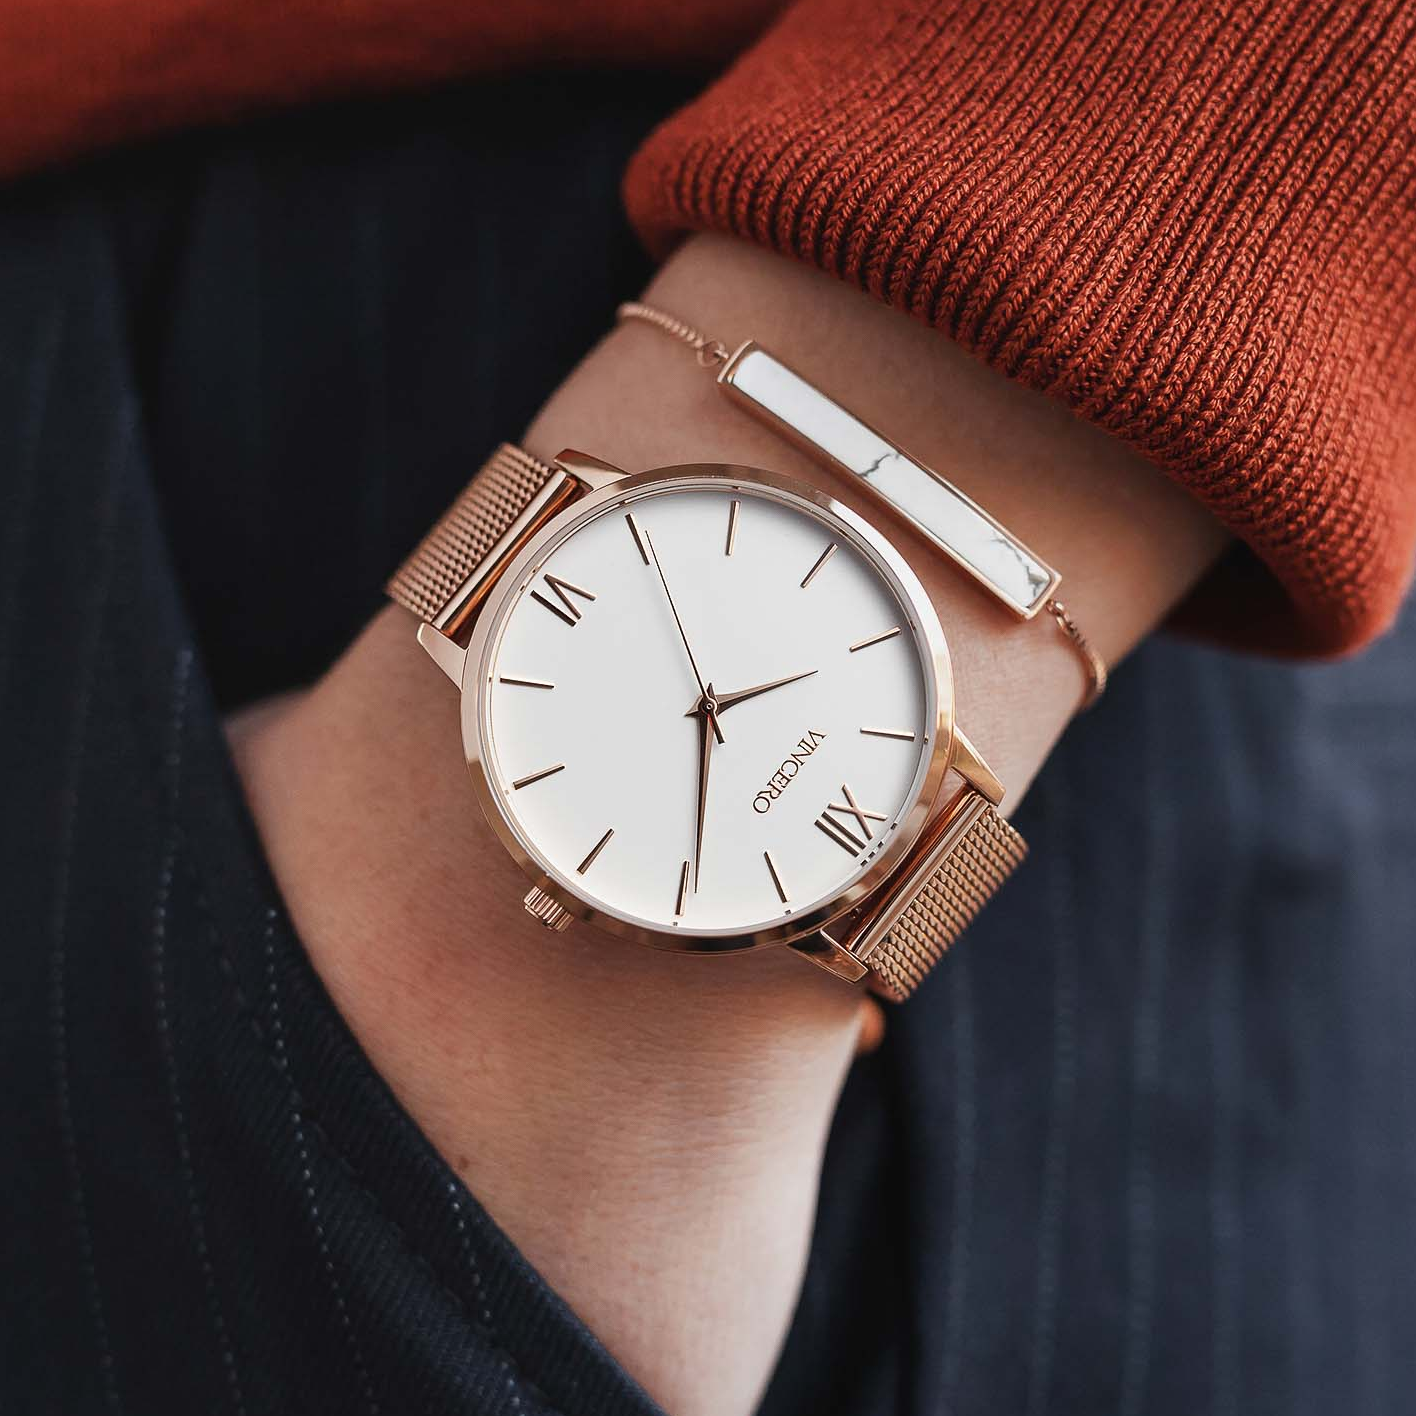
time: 2:29
